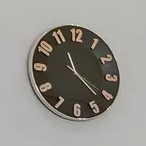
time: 11:21
